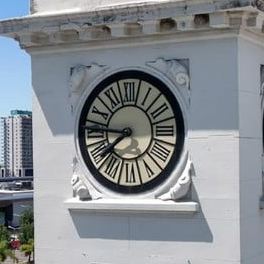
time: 7:46
